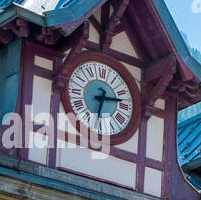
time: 6:13
